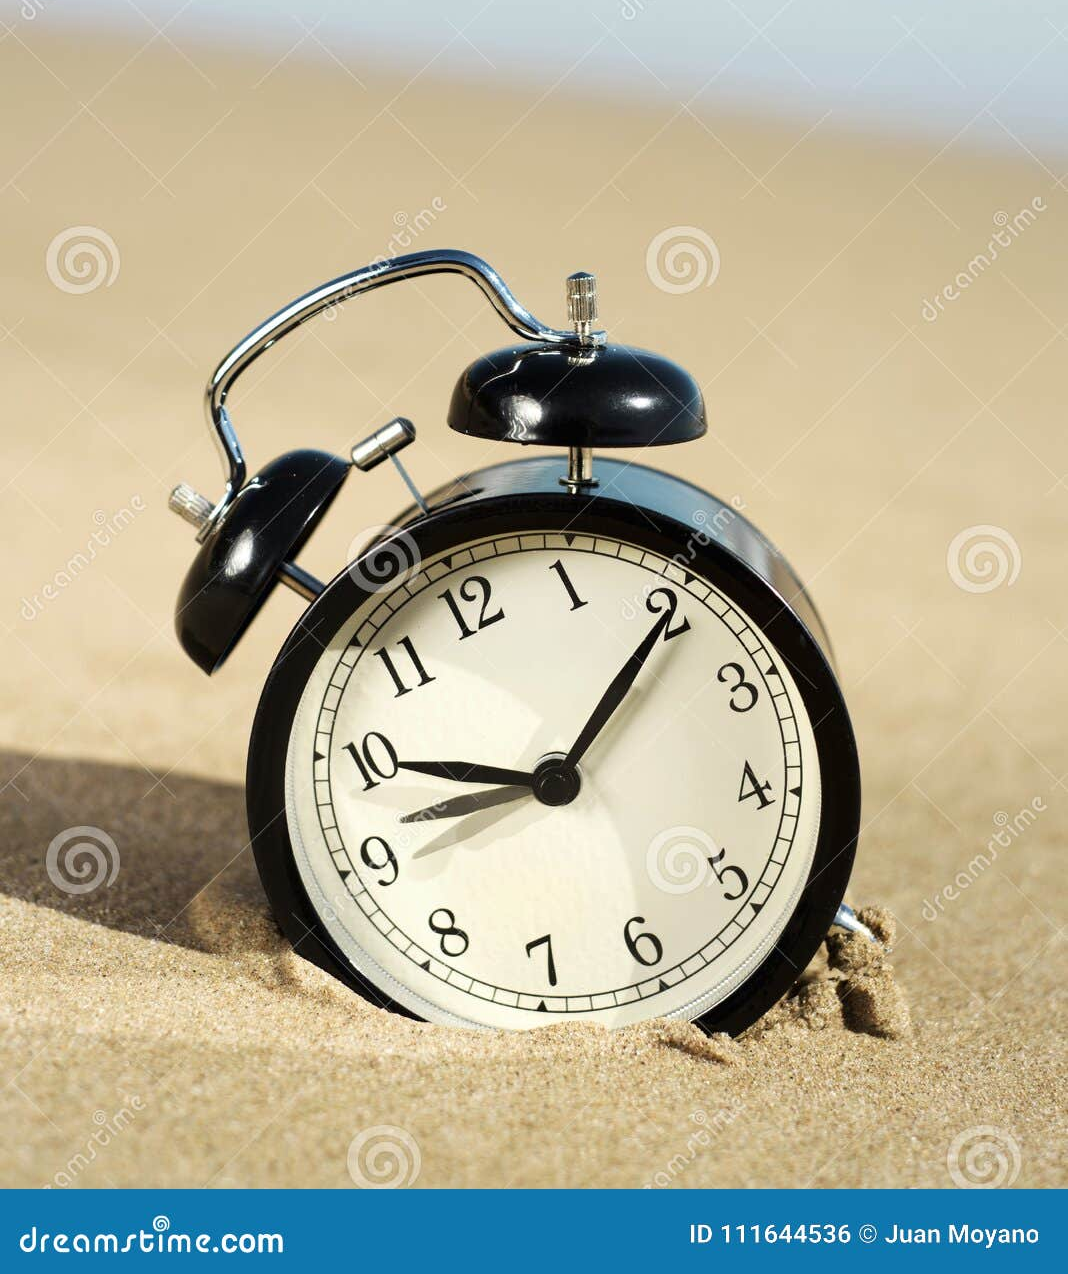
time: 9:10
